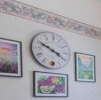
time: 3:48
